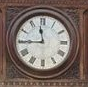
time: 11:44
